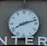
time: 8:12
